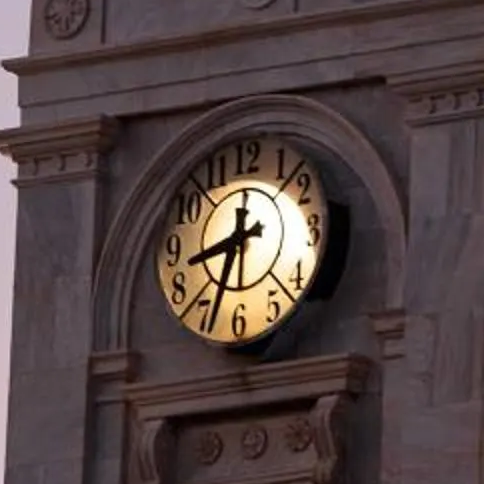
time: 8:33
